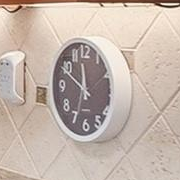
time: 11:49
